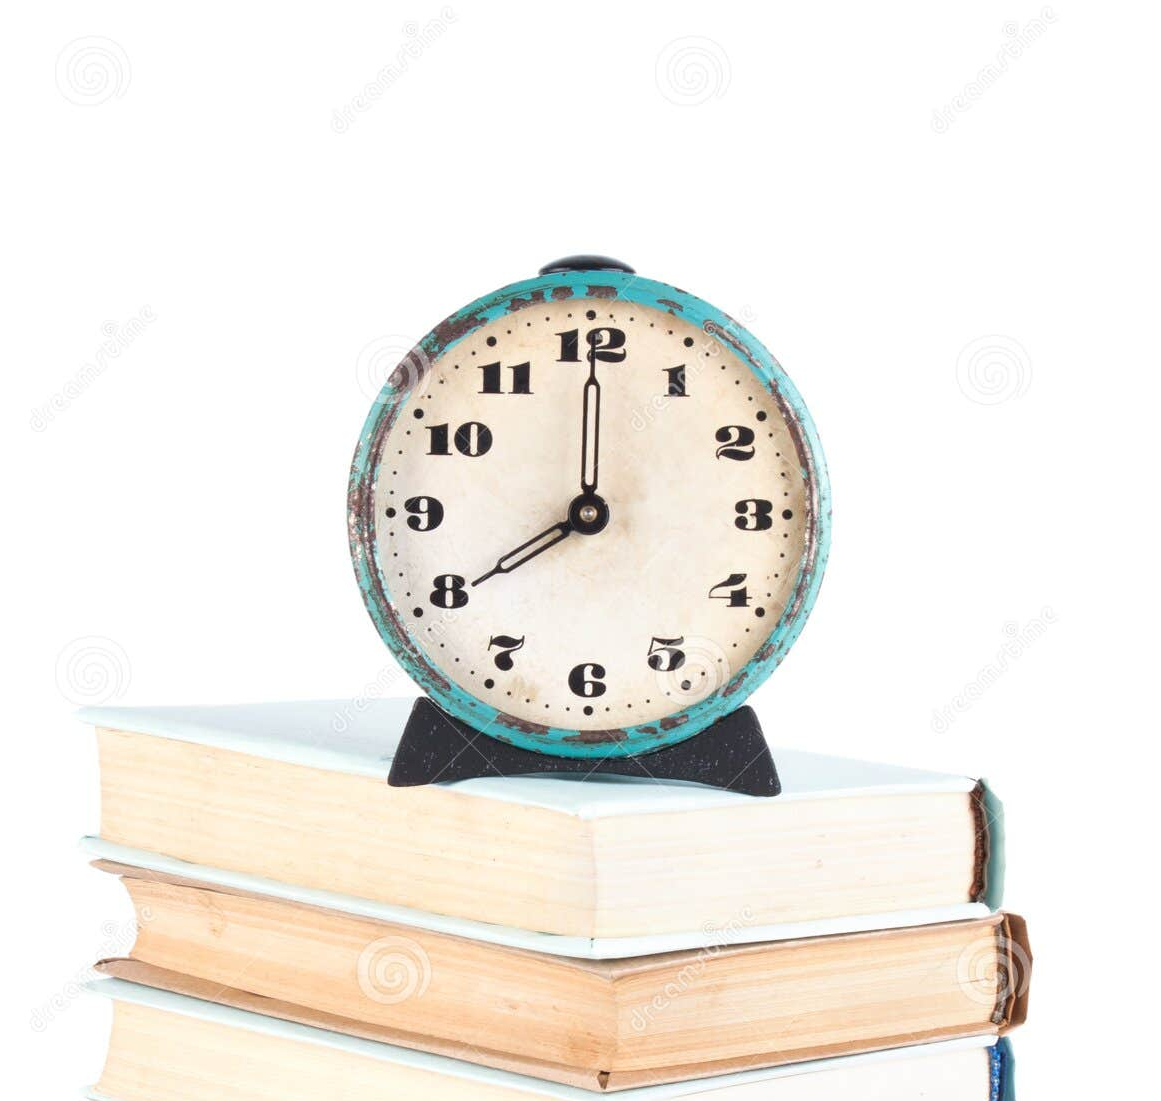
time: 8:00
